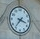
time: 3:36
